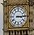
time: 3:14
